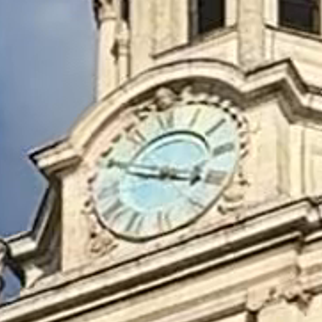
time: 3:48
